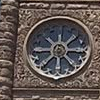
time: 7:15
